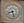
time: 8:27
